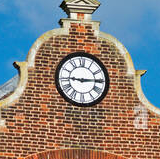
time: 9:14
